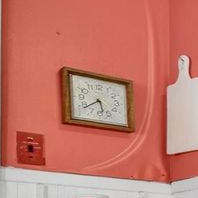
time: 5:38
